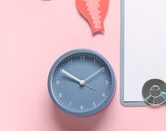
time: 9:50
